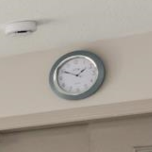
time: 1:49
